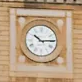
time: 10:14
